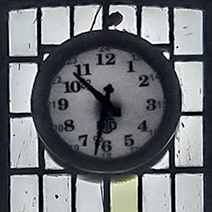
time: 10:32
